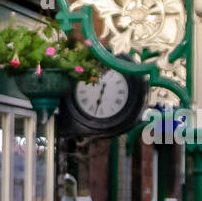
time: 12:32
